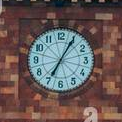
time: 7:05
